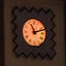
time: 11:12
